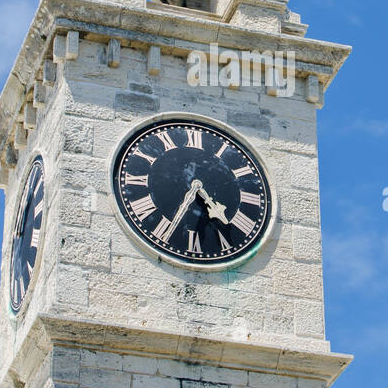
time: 4:34
